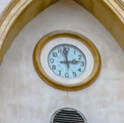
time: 2:58
